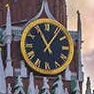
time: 11:06
